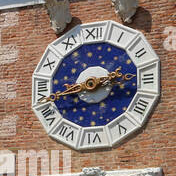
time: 2:42
